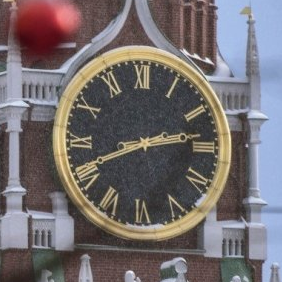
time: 2:41
